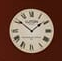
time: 1:51
